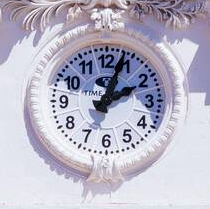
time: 2:03
